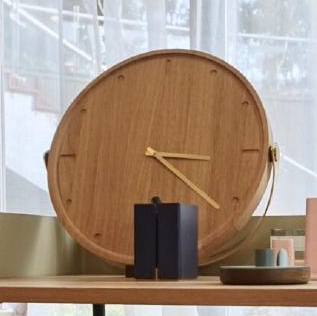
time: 3:21
